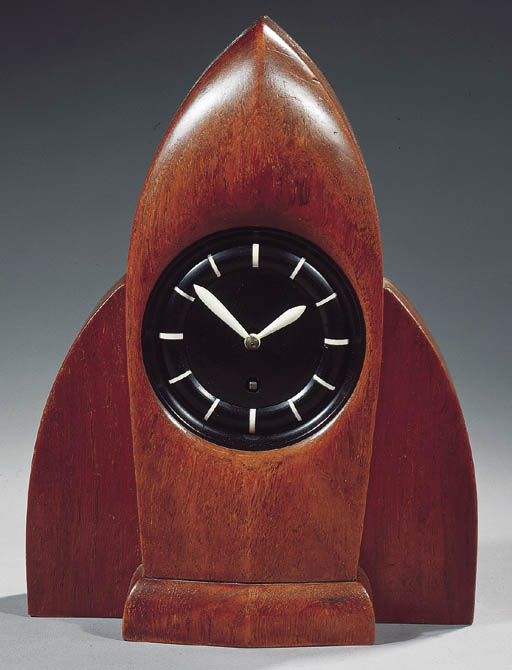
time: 1:51
